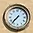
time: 7:37
